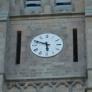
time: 5:48
